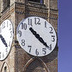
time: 10:21
